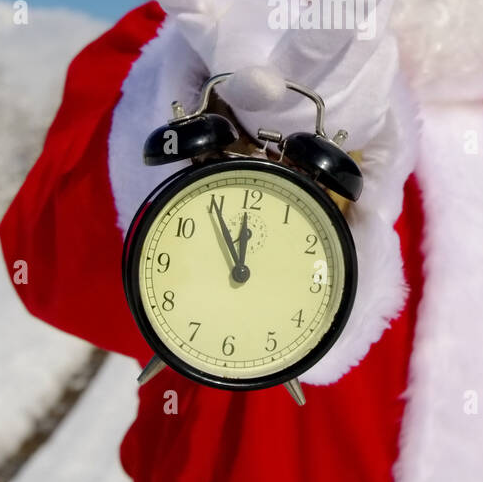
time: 11:55
